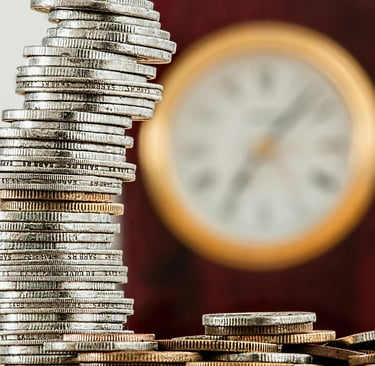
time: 7:07
